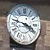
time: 3:47
